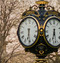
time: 6:29
